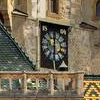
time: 6:00
